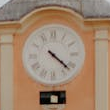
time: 4:22
